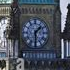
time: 1:30
